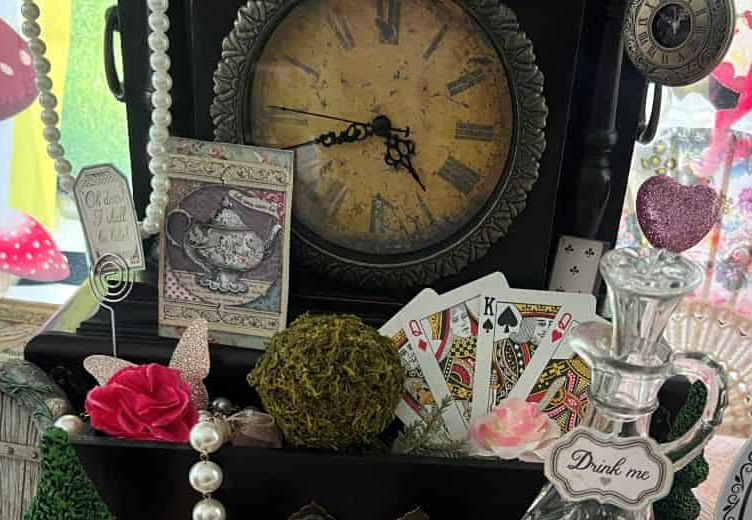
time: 4:42
